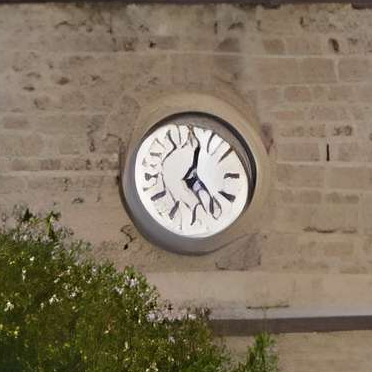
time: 12:23
